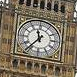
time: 11:36
